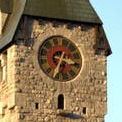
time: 3:34
